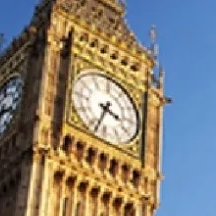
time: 3:33
